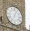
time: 7:04
